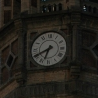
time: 6:40
